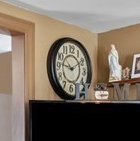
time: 9:10
